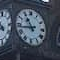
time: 10:43
